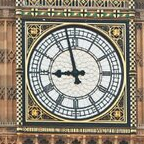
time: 8:57
